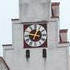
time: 12:46
